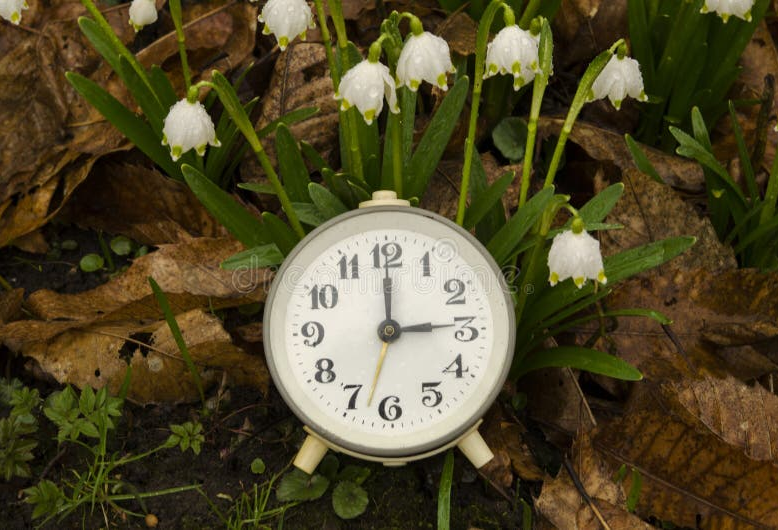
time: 3:00
